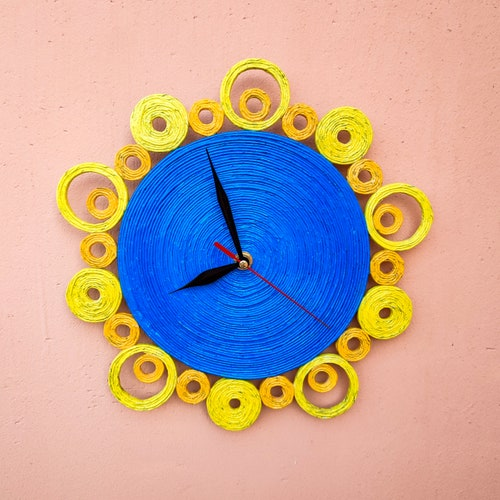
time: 7:57
